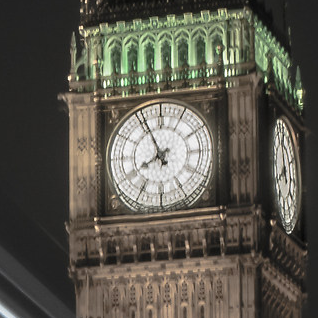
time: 7:55
